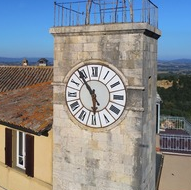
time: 5:53
